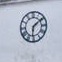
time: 6:08
